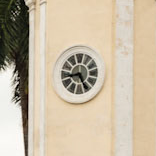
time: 8:25
